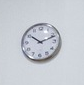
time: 10:11
